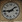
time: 1:44
